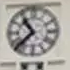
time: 10:37
